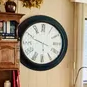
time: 5:48
